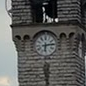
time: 6:14
